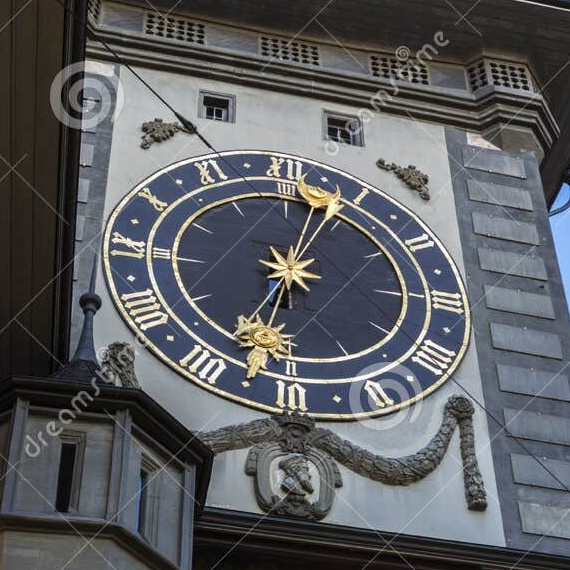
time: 12:32
